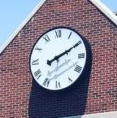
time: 8:10
